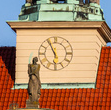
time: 5:55
